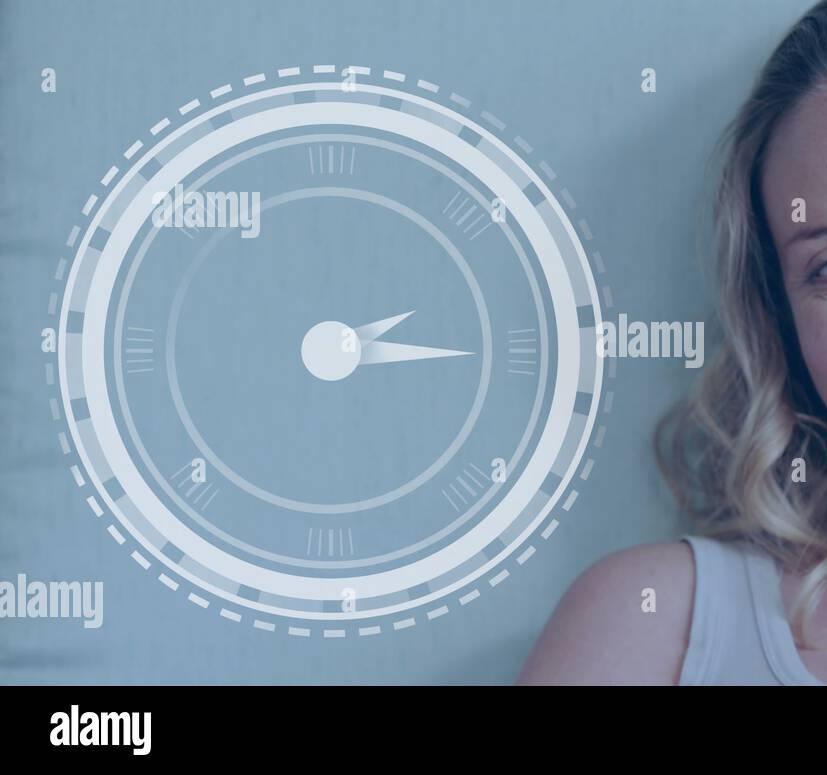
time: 2:14
